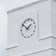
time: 1:51
